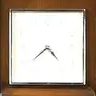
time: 4:38
